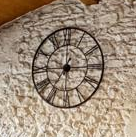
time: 7:15
